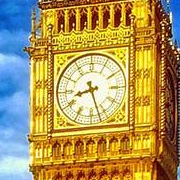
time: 8:27
